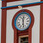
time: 12:28
